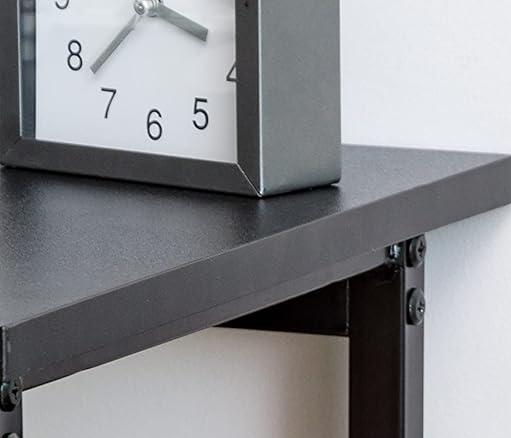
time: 3:37
